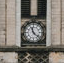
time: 11:21
